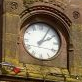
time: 2:05
